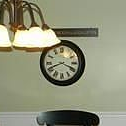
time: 3:41
